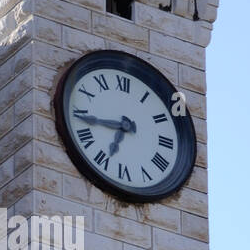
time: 6:43
